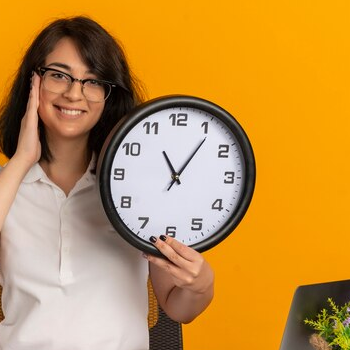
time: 11:05
